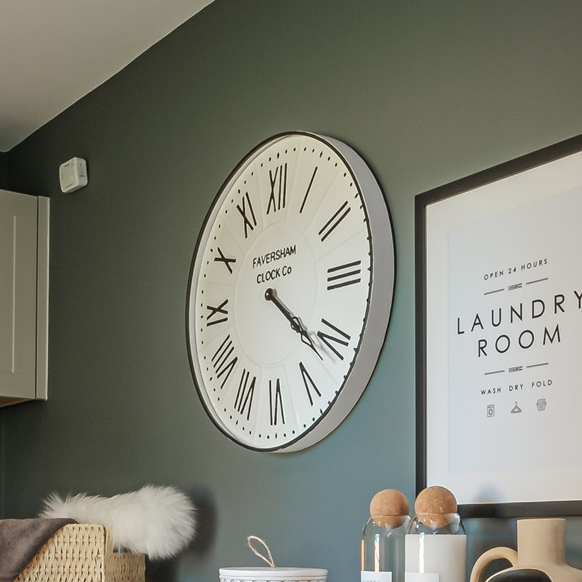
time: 4:21
